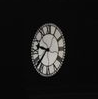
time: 9:37
